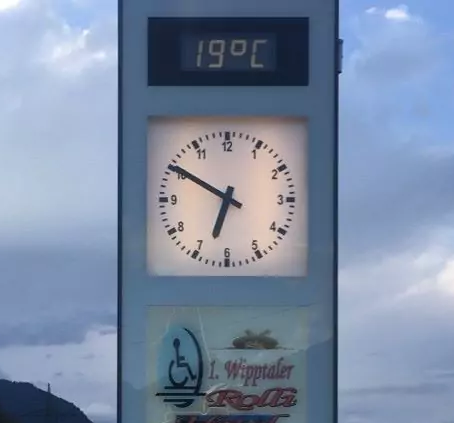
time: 6:50
